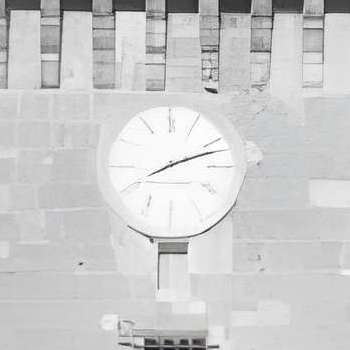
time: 8:11
